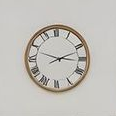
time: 2:16
